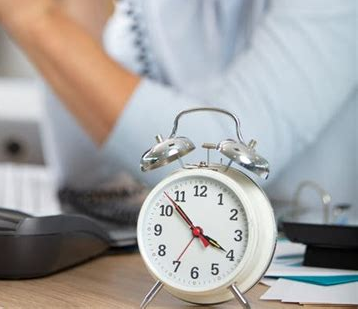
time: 3:52
